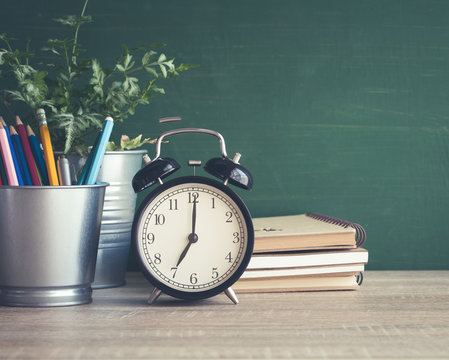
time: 7:00
